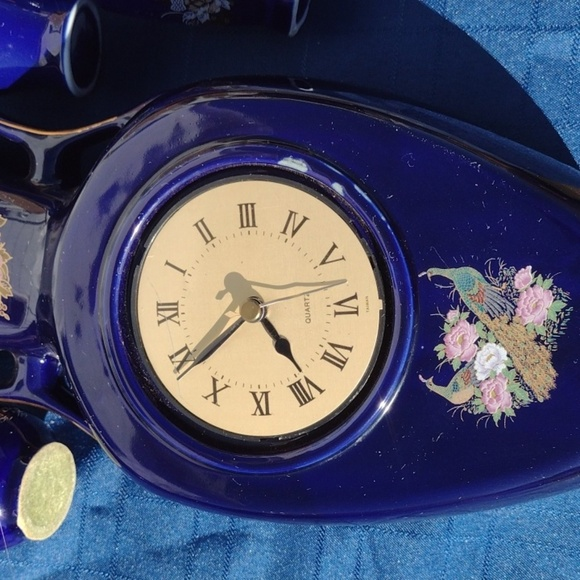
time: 4:38
